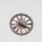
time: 4:18
